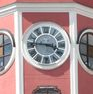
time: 3:45
